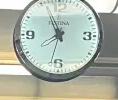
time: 7:56
